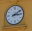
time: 3:09
